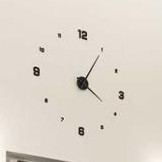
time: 4:05
